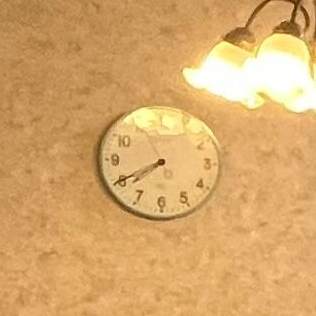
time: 7:40
